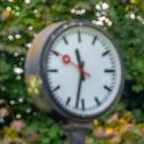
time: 11:32
